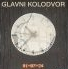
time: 10:37
